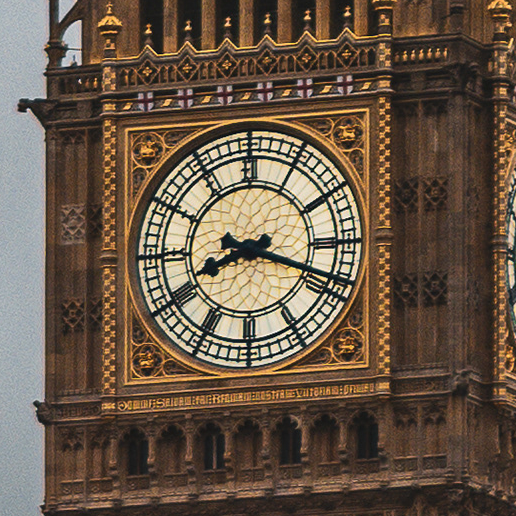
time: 8:18
